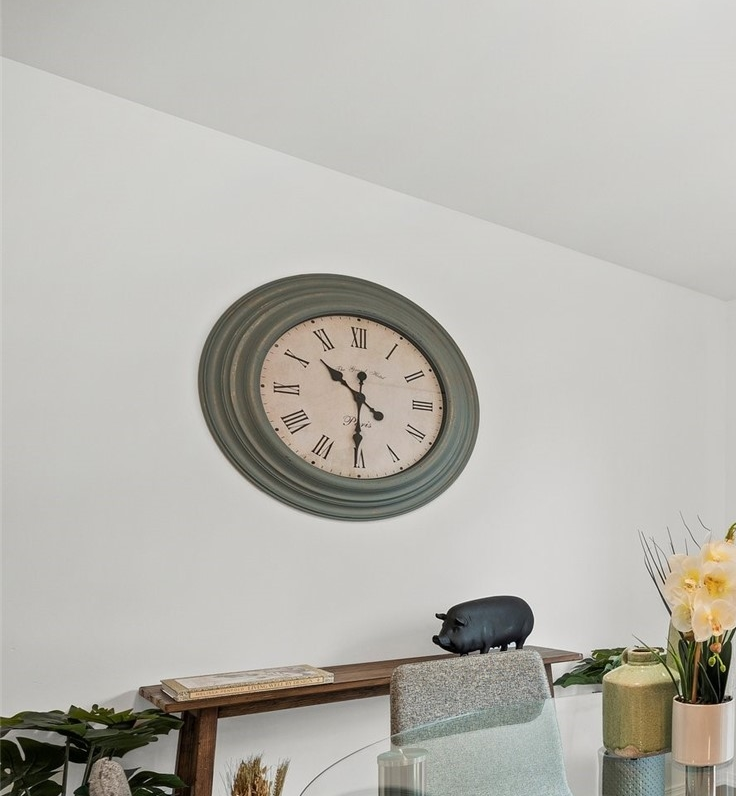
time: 10:30
